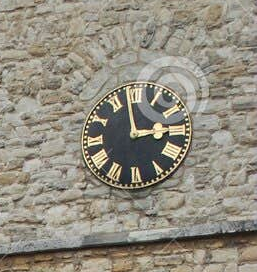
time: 2:58
